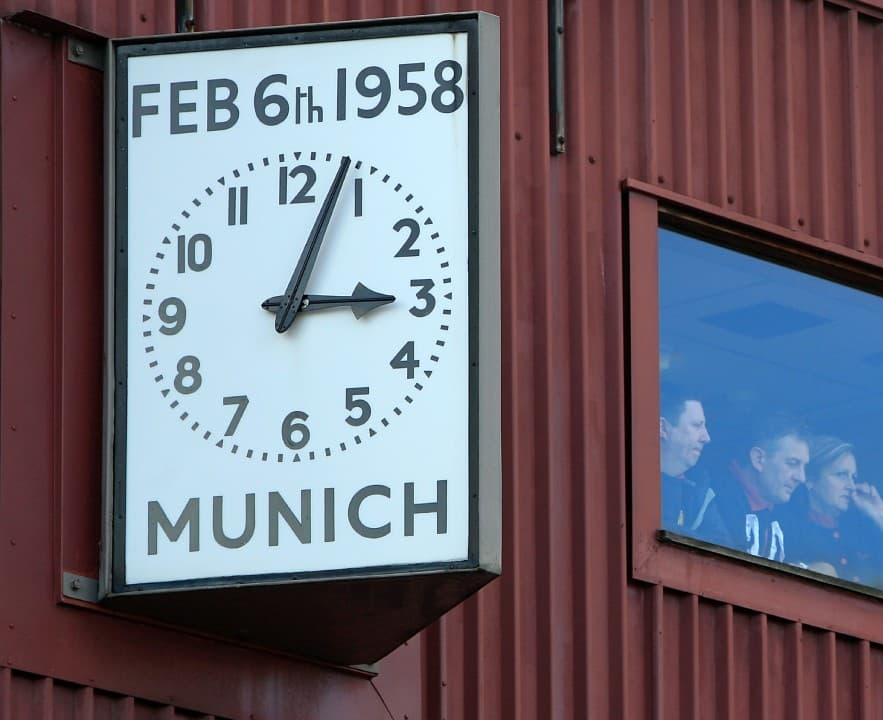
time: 3:04
